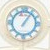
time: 1:05
